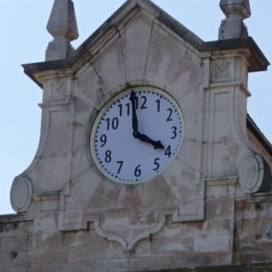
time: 3:58
